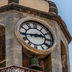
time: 2:43
